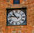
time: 10:47
